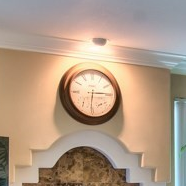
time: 3:14
